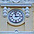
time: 2:58
